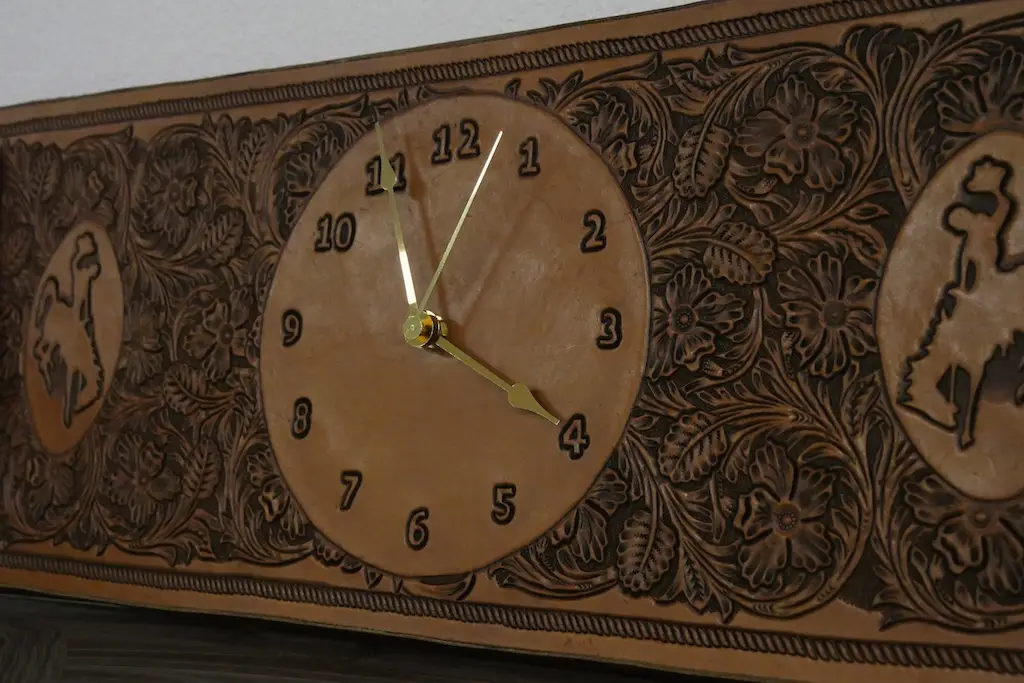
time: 11:19
